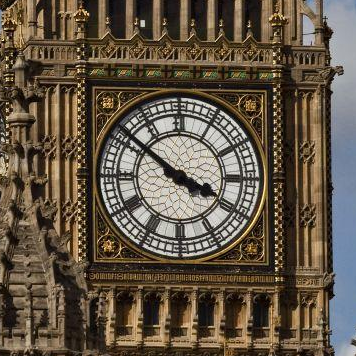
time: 3:51
